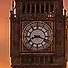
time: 8:18
